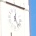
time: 12:23
